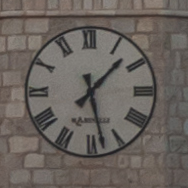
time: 1:28
